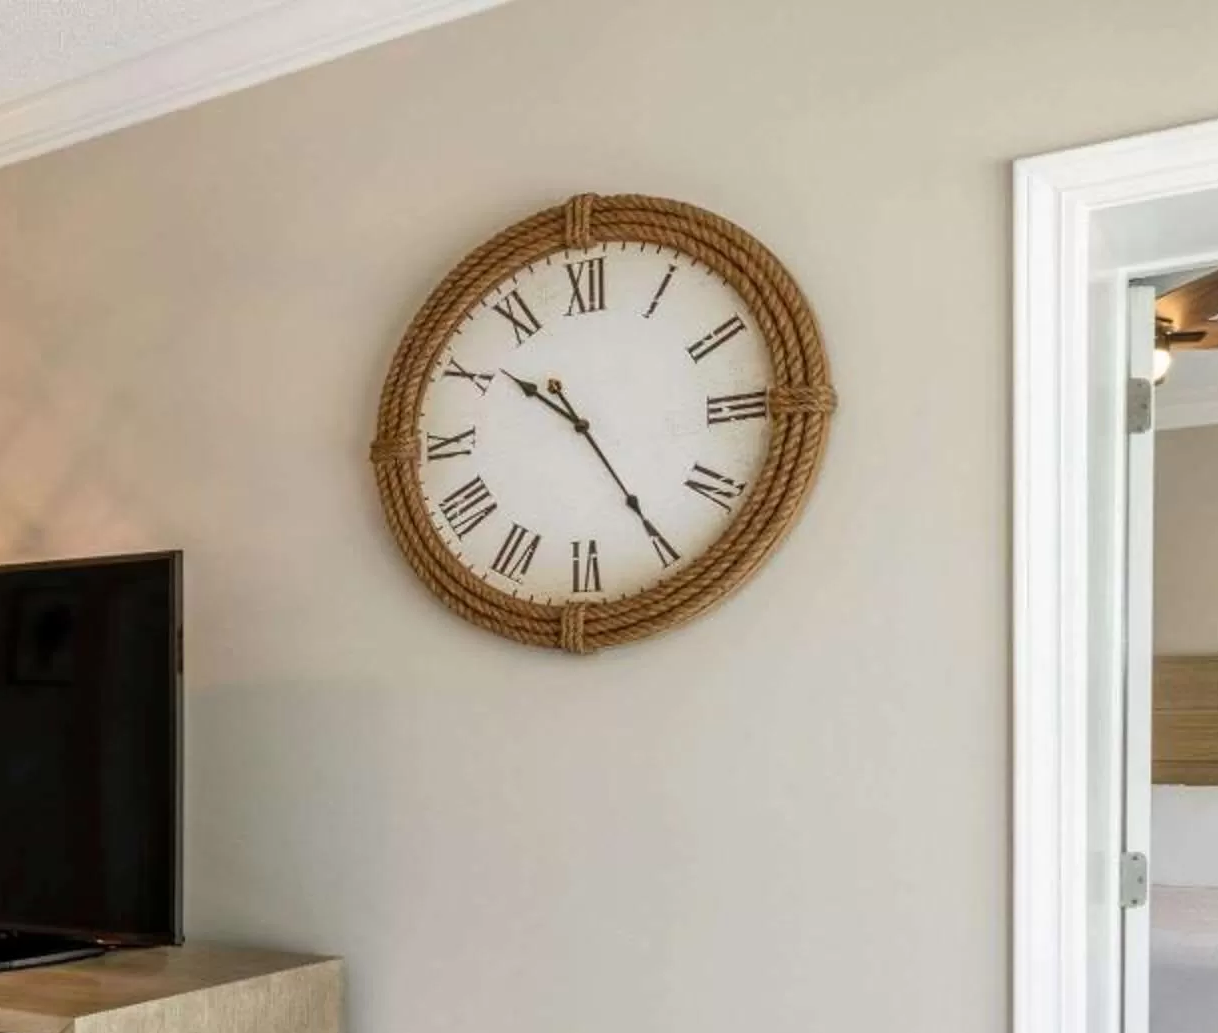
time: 10:24
